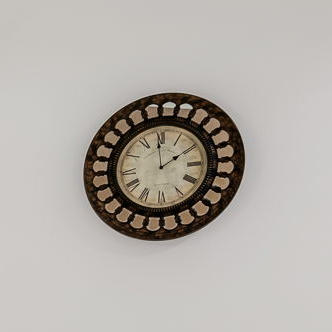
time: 1:59
